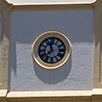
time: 11:37
